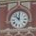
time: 11:52
